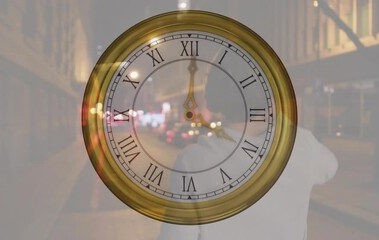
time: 4:00
